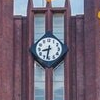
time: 8:32
